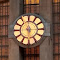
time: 6:14
